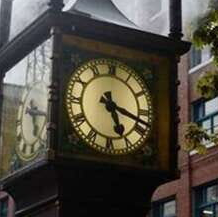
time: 5:18
